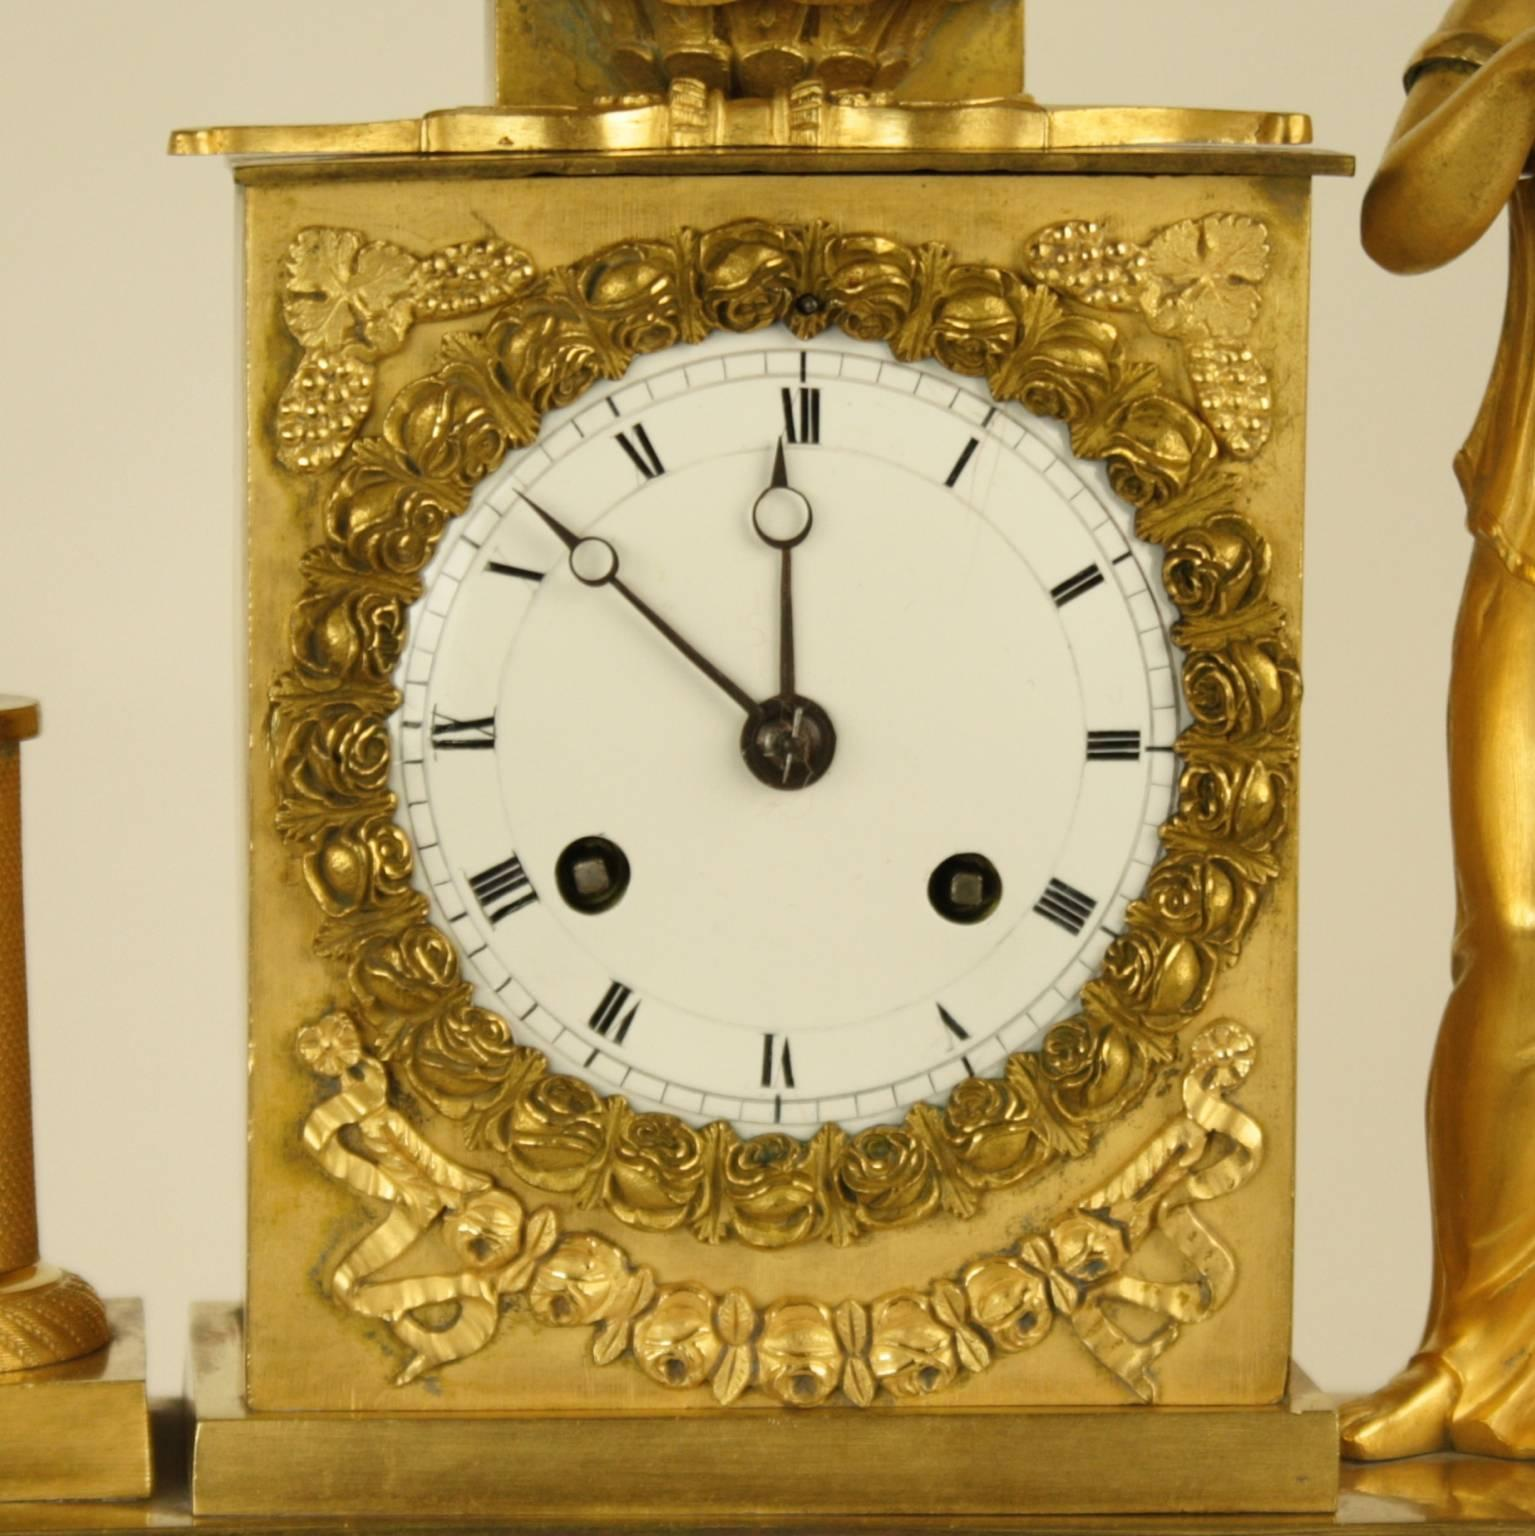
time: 11:51
